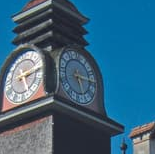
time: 5:15
